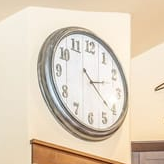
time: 2:21
